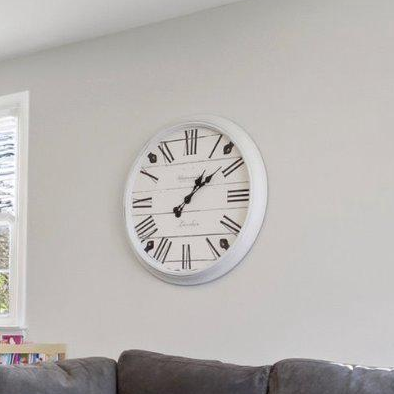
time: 1:08
